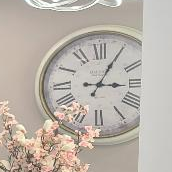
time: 3:04
